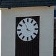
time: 3:55
